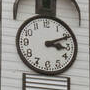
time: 3:10
